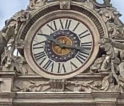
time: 10:17
